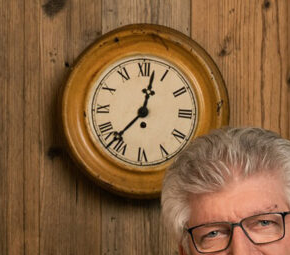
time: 12:37
